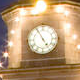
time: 4:55
